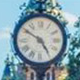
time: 4:50
